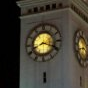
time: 8:18
